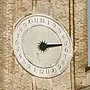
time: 1:13
